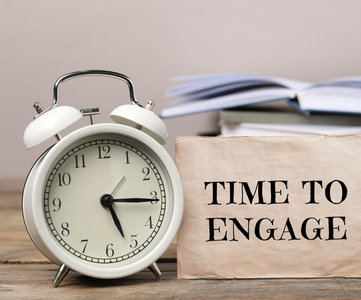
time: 5:15
